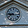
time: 8:16
